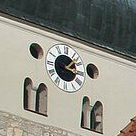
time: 1:16
